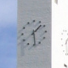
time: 1:28
